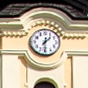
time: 1:30
